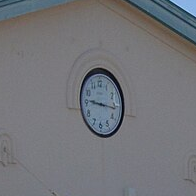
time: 9:16
